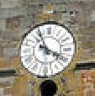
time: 3:55
